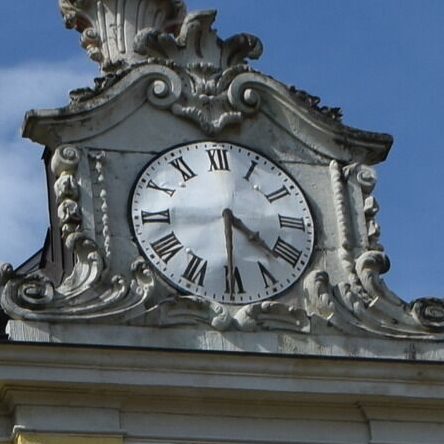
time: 4:30
